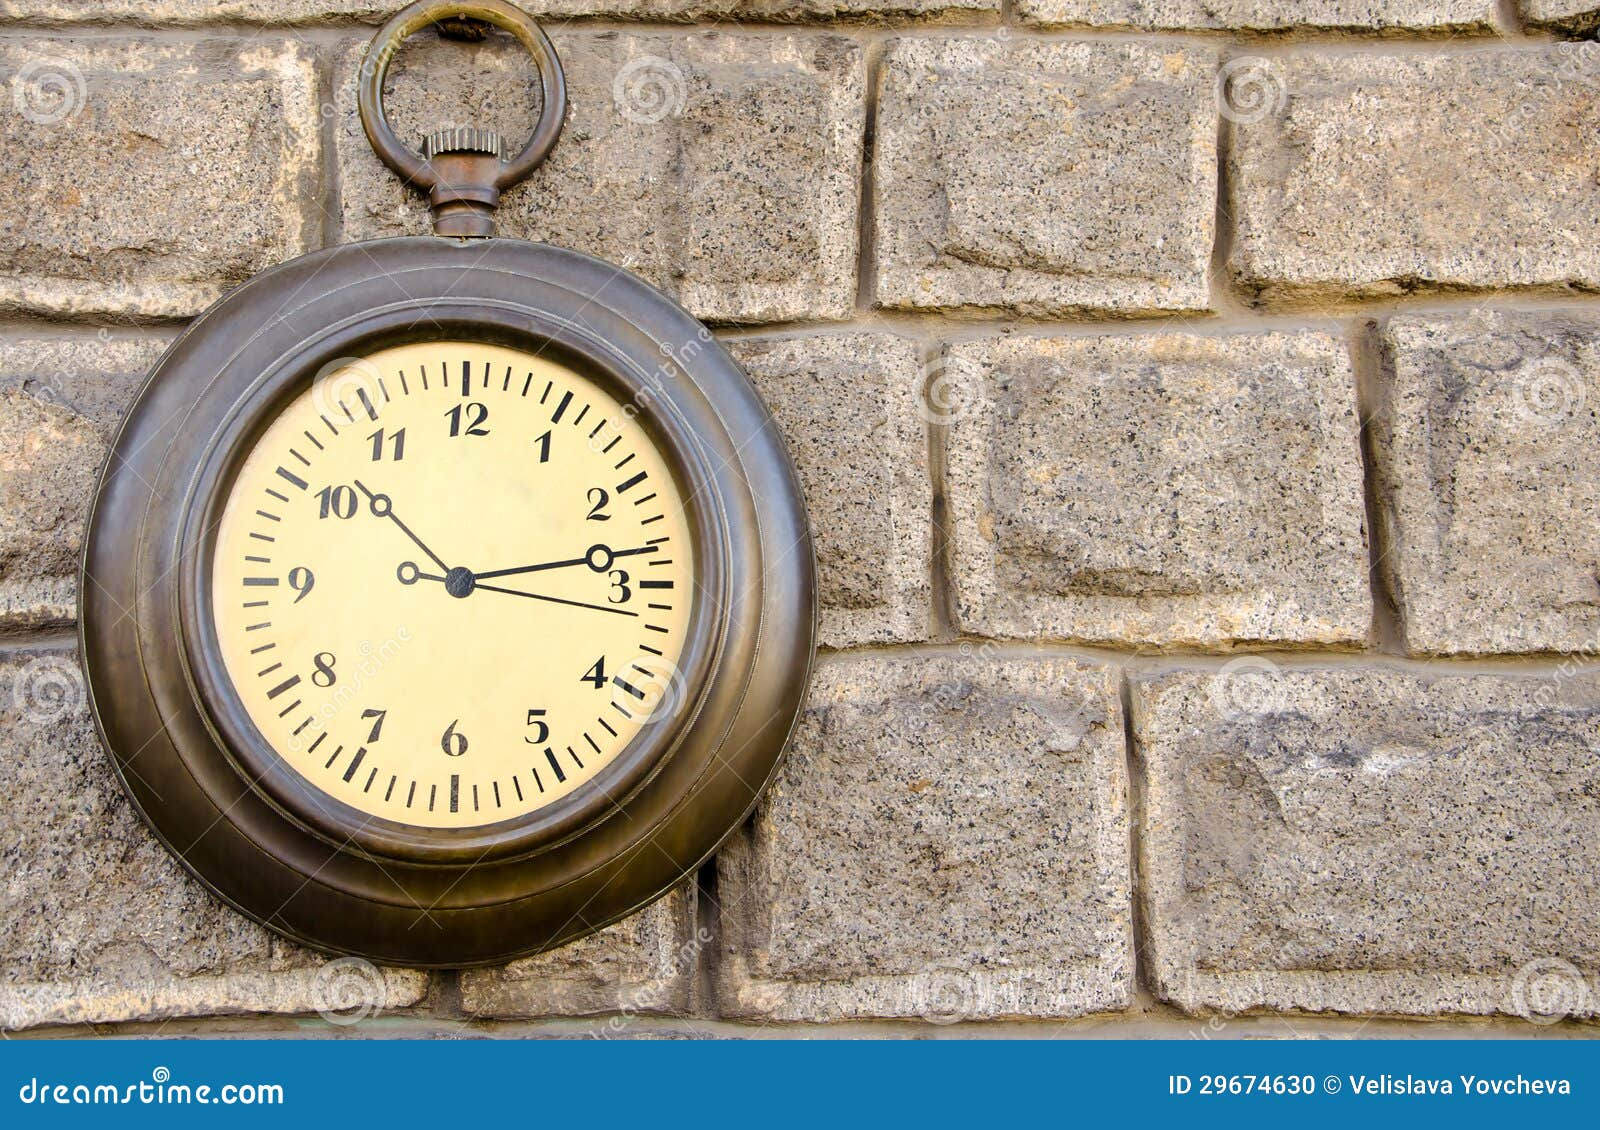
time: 10:13
